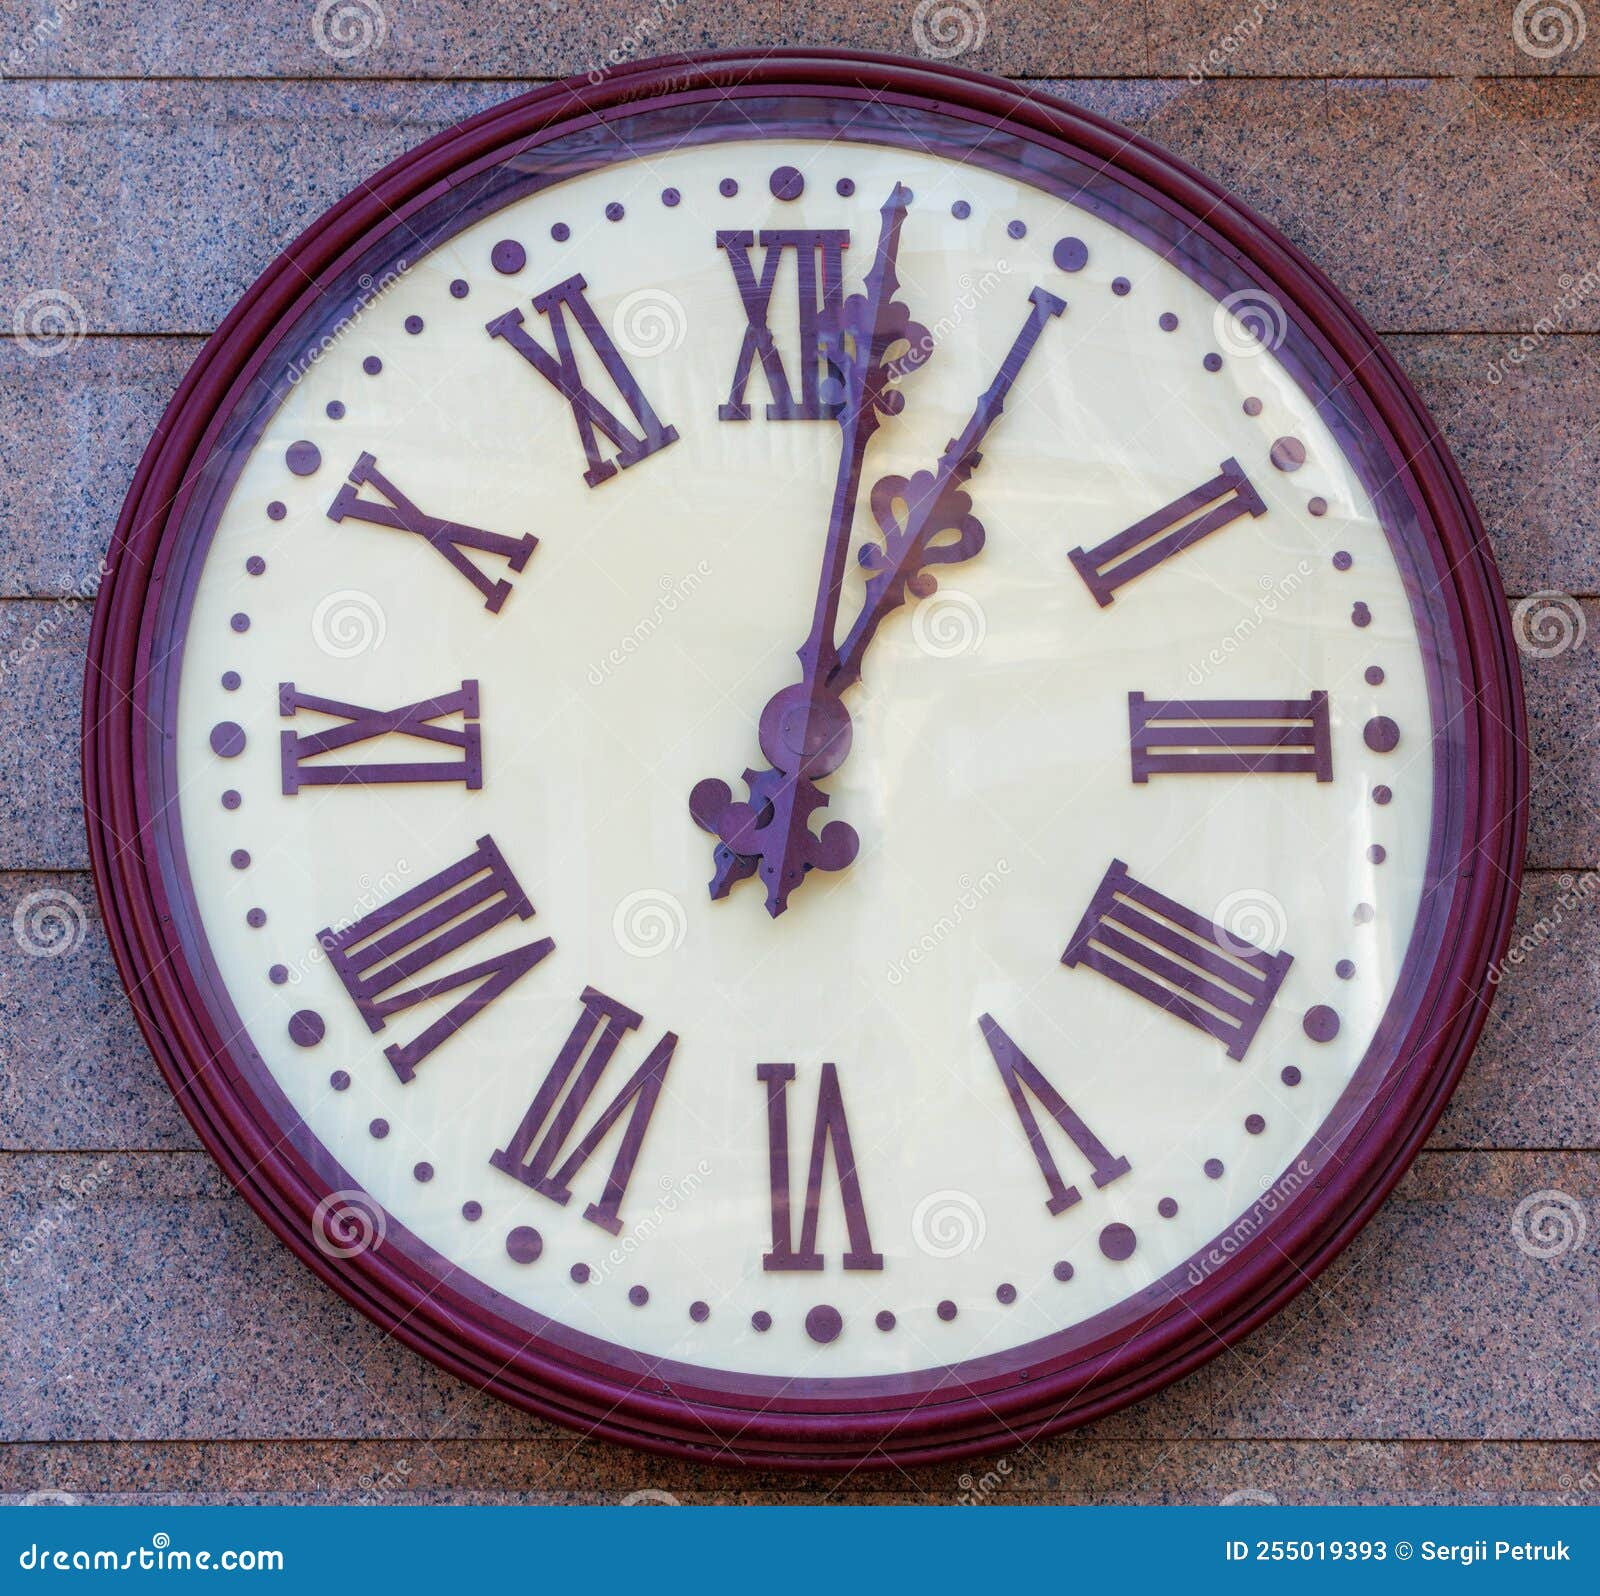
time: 1:02
